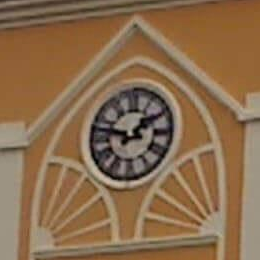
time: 1:47
